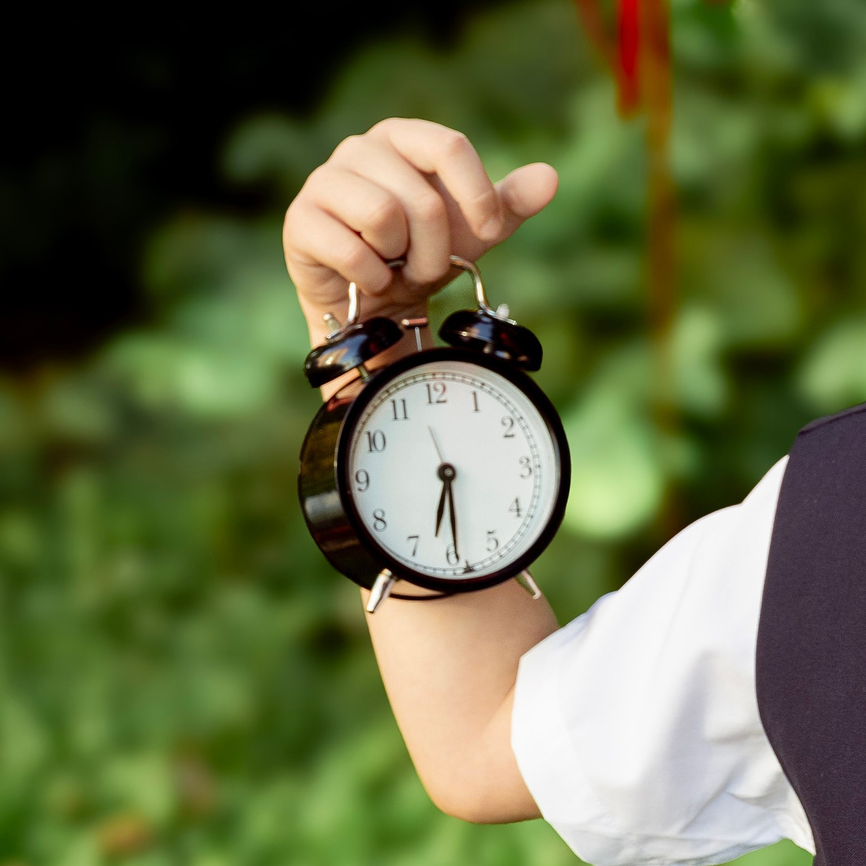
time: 6:29
